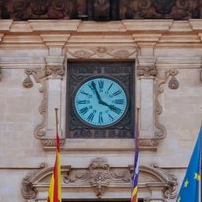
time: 3:56
